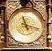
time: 11:17
